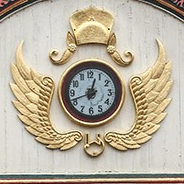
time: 12:41
